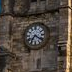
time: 7:21
